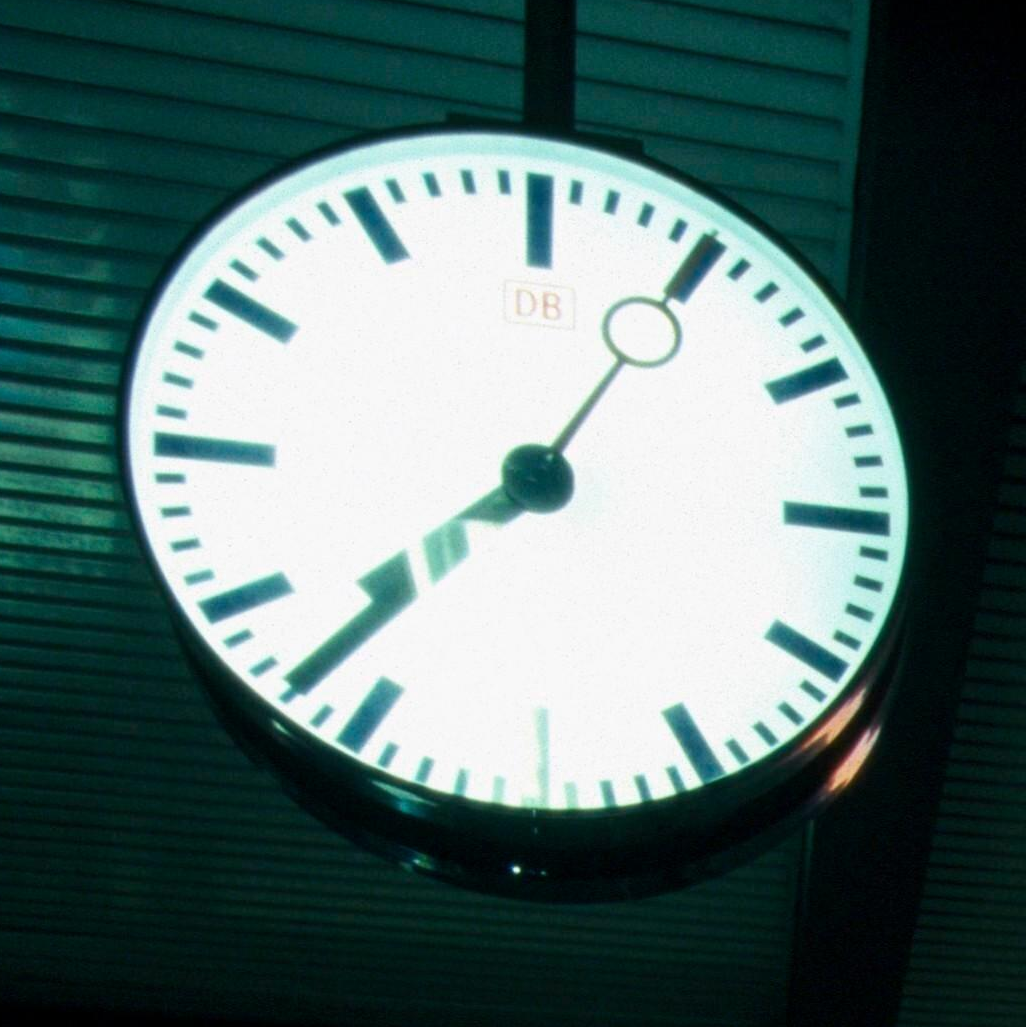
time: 7:37
